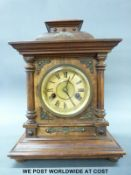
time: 12:23
